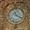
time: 11:19
